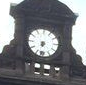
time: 7:32
